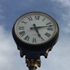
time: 5:12
